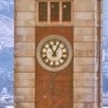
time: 11:04
